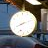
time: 8:12
